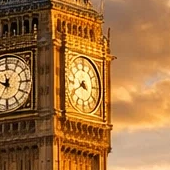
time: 3:40
